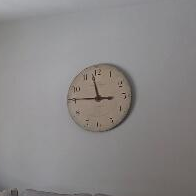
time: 11:45
